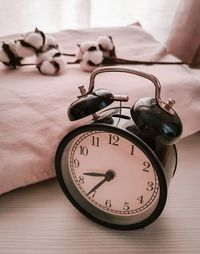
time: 8:35
